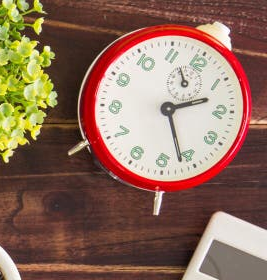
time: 2:26
